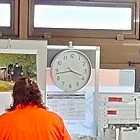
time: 3:43
